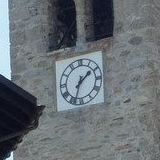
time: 1:33
